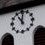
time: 11:01
